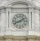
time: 1:41
